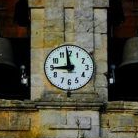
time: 8:58
